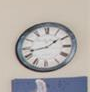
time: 1:42
